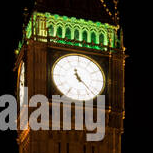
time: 11:22
